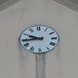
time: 9:43
